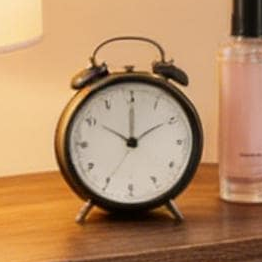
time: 10:00
